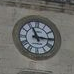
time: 11:15
